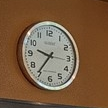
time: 9:36
